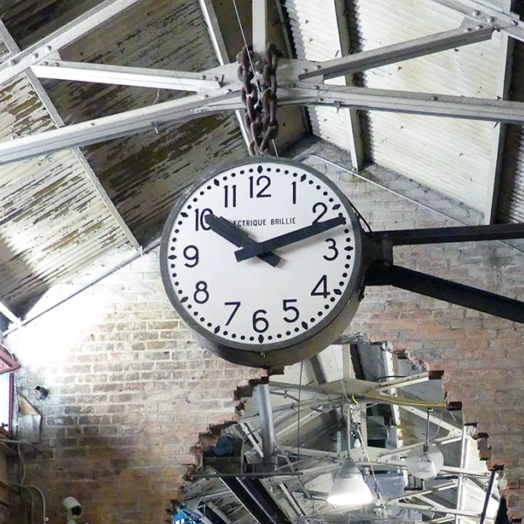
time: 10:12
